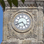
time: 4:41
